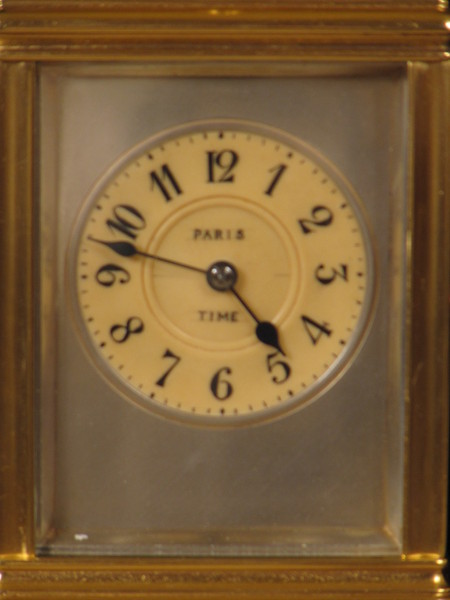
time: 4:47
